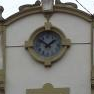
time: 1:50
